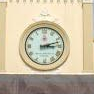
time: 3:12
